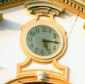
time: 5:15
